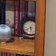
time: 5:40
